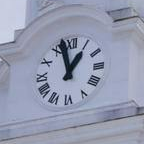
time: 12:57
